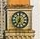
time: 7:00
